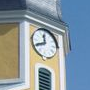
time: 11:40
